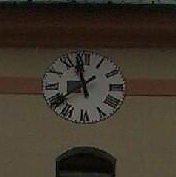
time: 11:39
